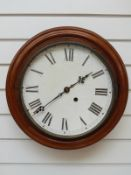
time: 1:38
